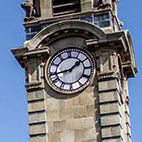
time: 1:43
